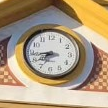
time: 7:43
